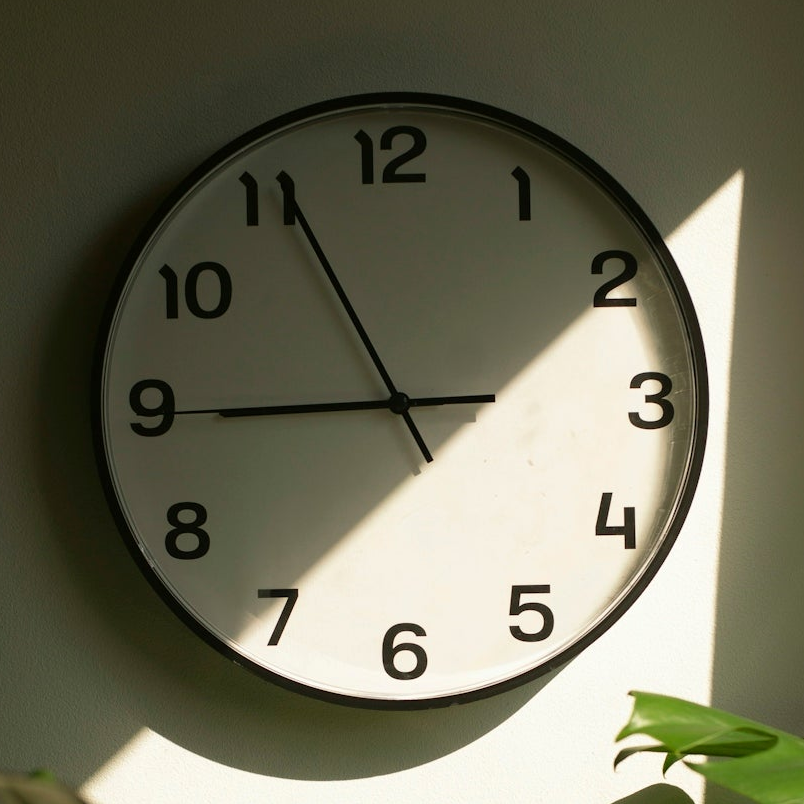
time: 8:55
